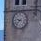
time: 9:37
